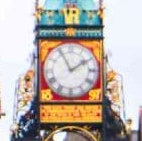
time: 1:55
